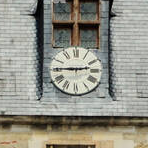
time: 2:45
